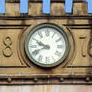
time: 9:41
